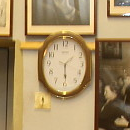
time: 1:29
